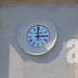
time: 3:00
